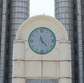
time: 11:23
